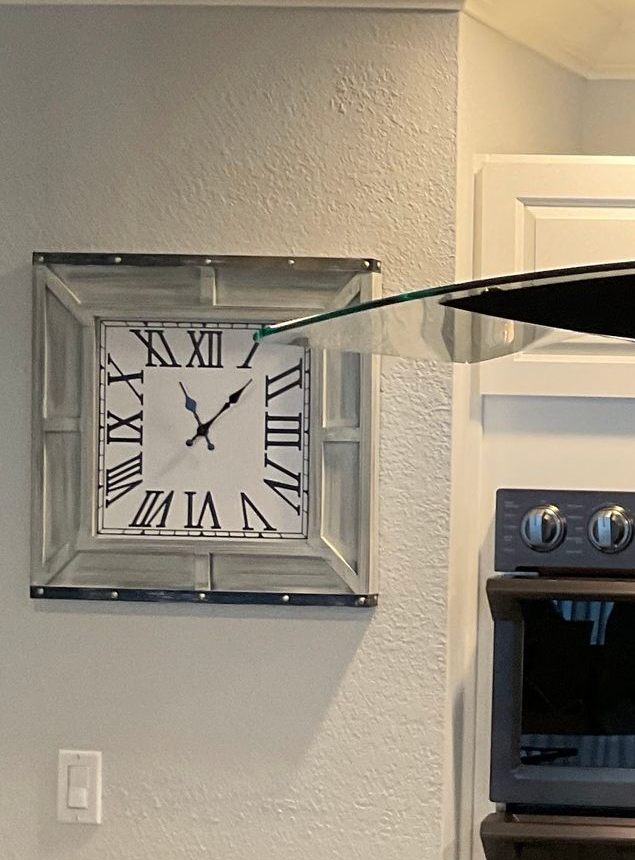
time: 11:07
